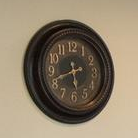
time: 5:41
